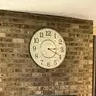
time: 3:19
